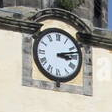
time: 3:12
